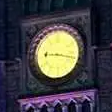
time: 9:17
